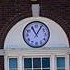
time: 11:05
